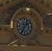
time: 1:34
